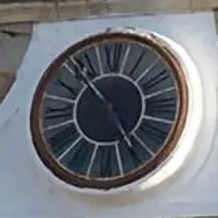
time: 4:52
